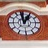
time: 12:58
